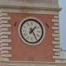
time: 1:24
